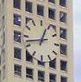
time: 12:42
